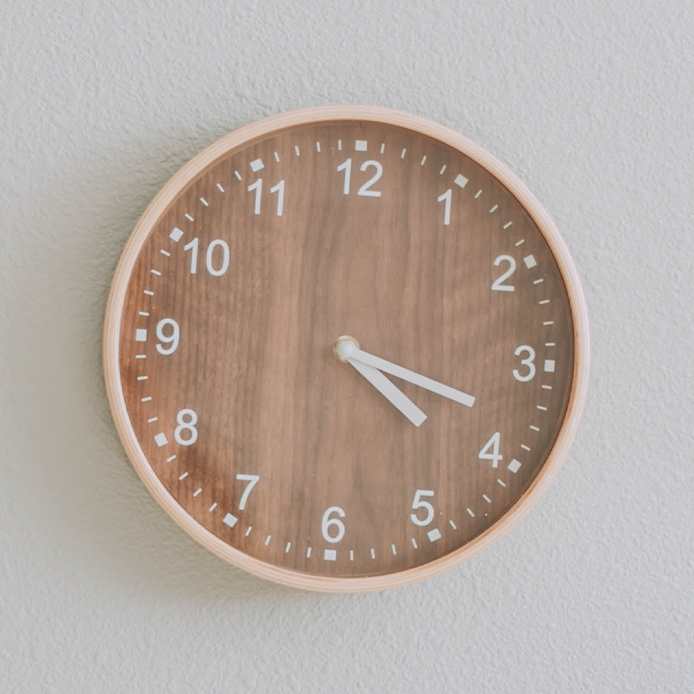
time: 4:18
